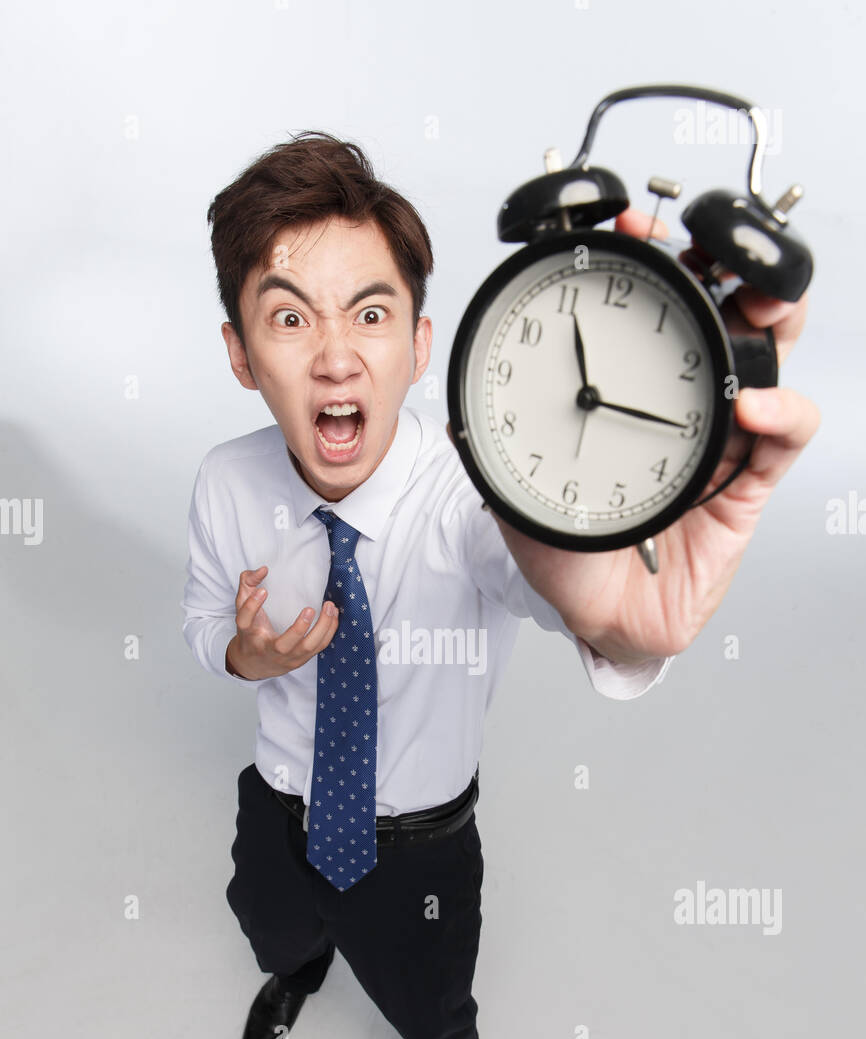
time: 11:15
